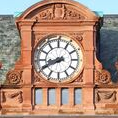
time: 8:40
